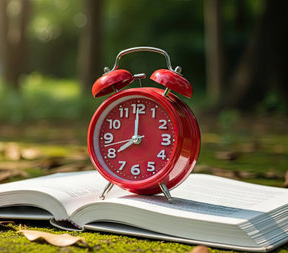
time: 8:00
